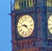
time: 9:22
